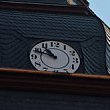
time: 10:48
